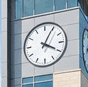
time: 4:04
